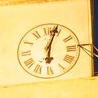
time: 6:03
